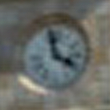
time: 3:58
